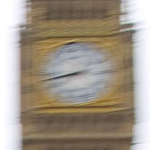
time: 2:42
